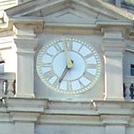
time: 6:58
